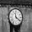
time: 11:21
